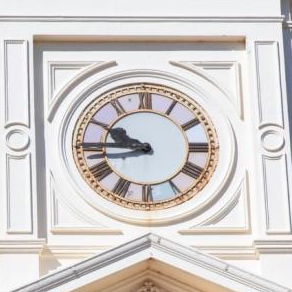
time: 9:44
